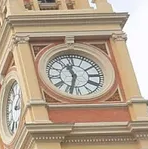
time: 11:33
